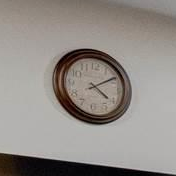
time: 4:09
